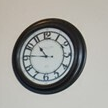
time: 10:46
